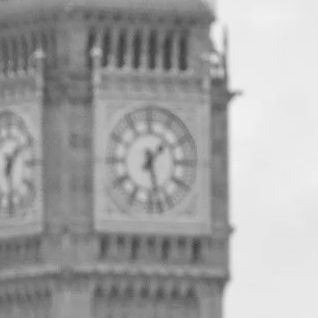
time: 1:27
